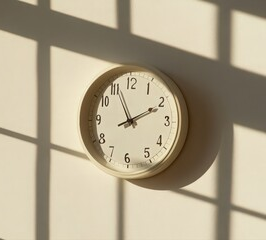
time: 1:56
